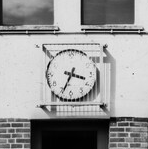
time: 3:34
